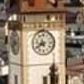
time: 11:40
